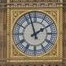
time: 1:57
